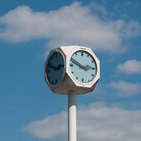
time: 2:48
